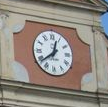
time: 12:38
